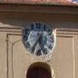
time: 5:35
